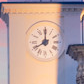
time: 7:59
